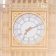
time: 7:11
